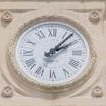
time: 2:07
